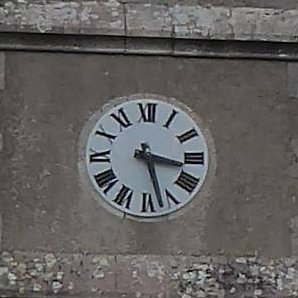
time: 3:27
